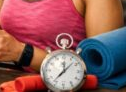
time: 12:07
